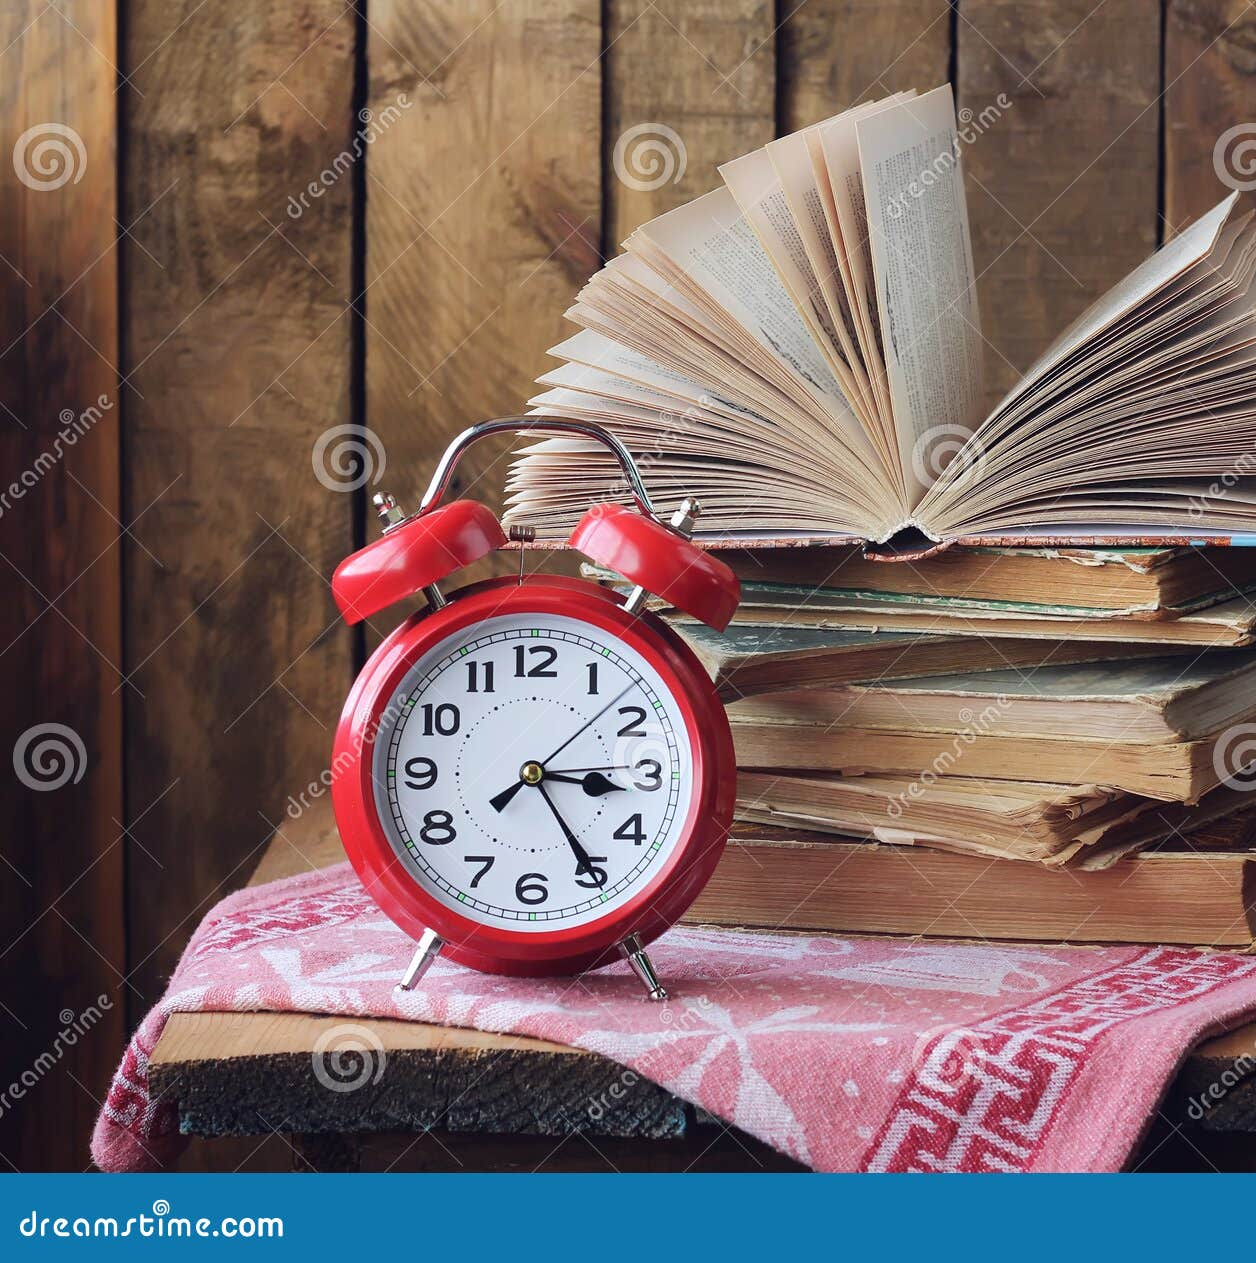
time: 3:24
